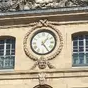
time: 1:23
